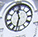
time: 11:32
